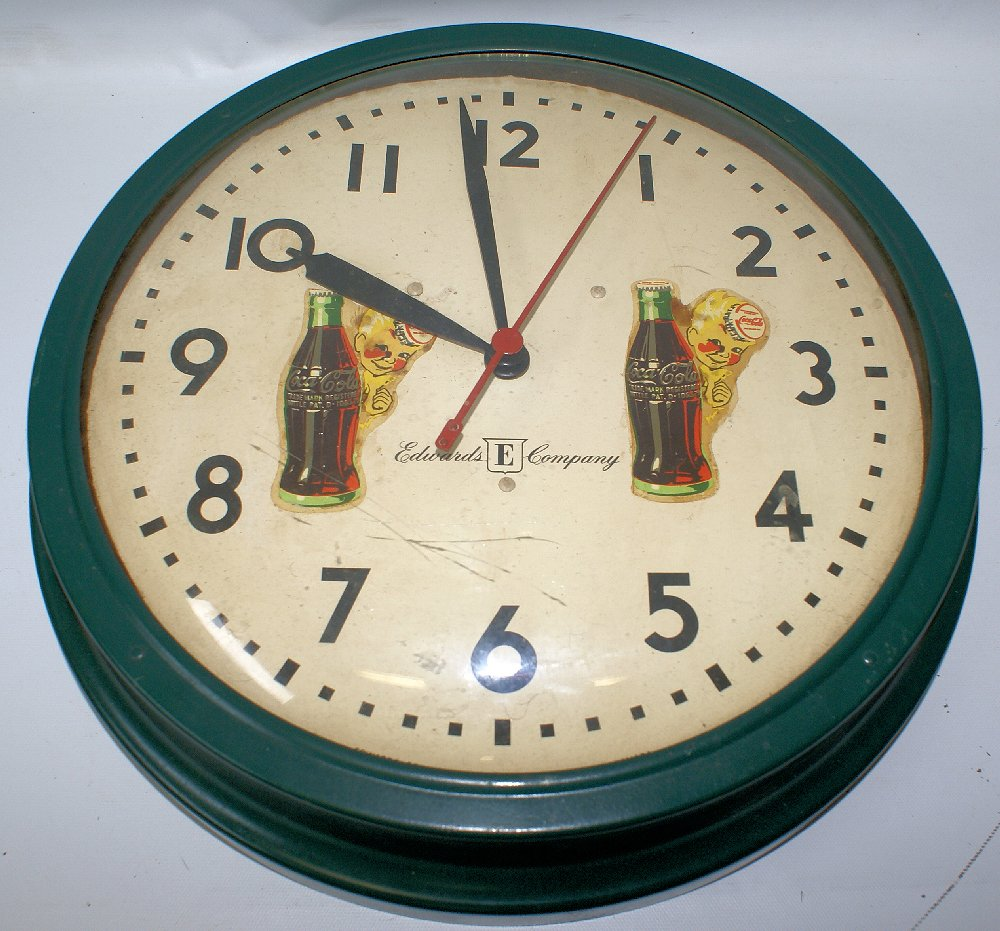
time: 9:58
